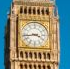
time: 3:43
